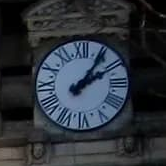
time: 2:06
